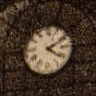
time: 4:10
